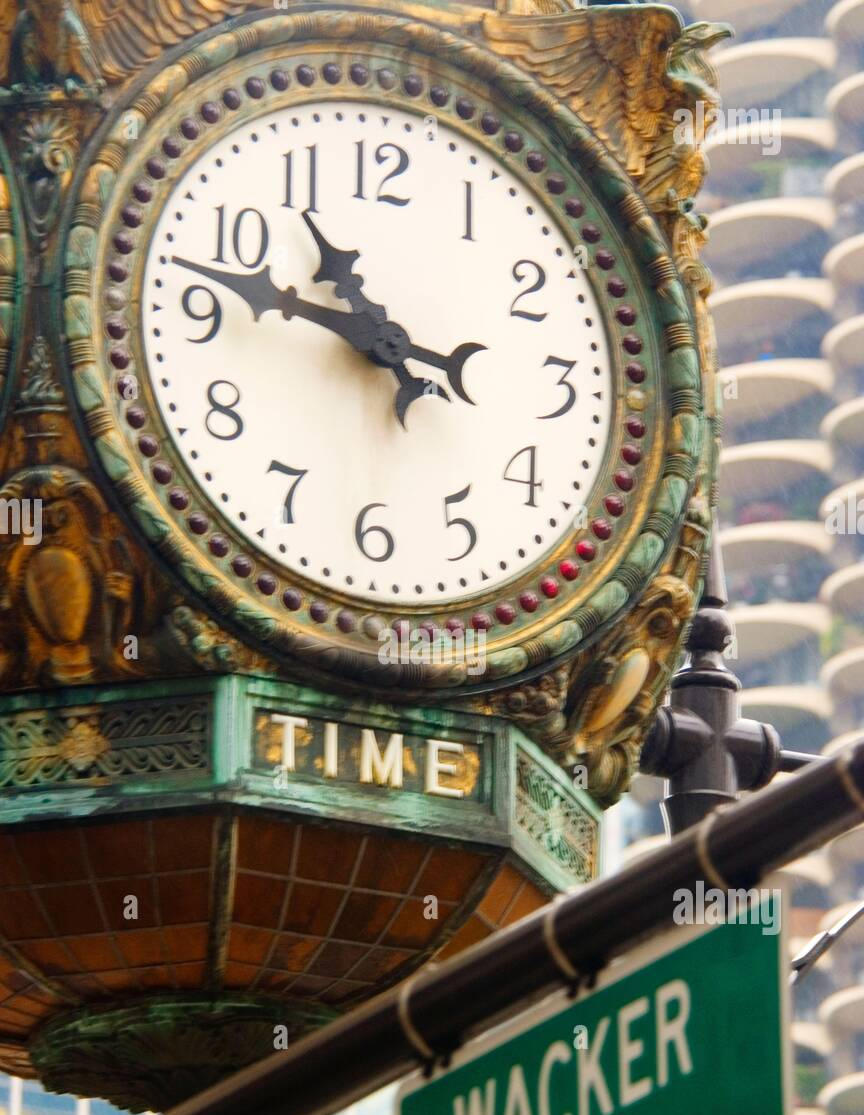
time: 10:47
